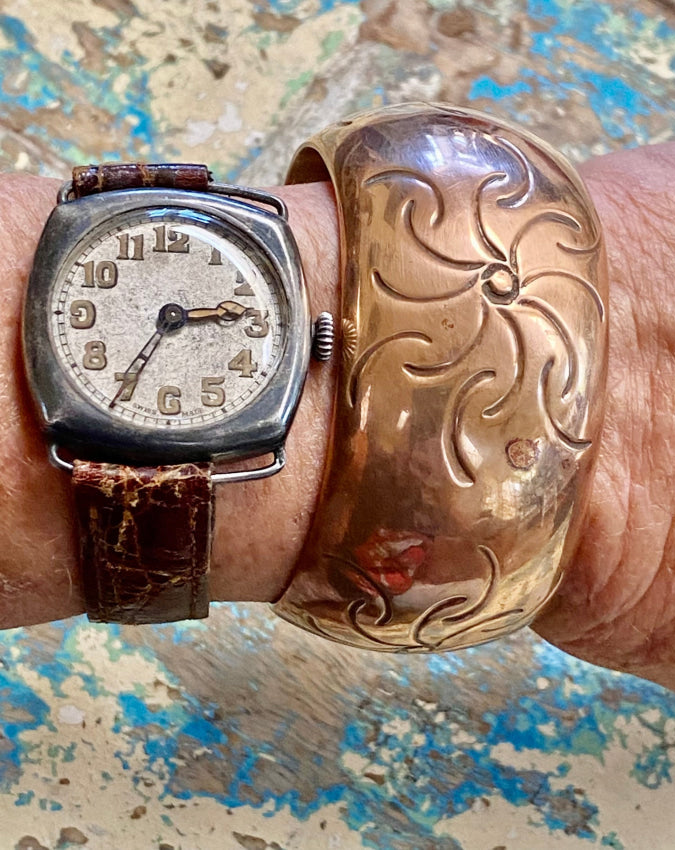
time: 2:35
